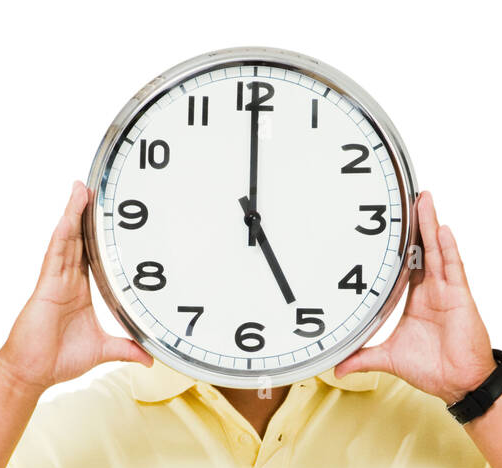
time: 5:00
